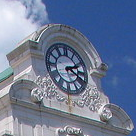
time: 2:19
